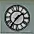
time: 1:36
